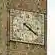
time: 4:21
